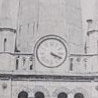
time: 4:18
